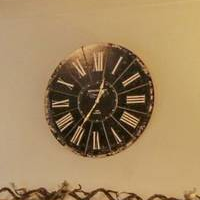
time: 12:35
